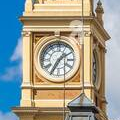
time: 1:35
